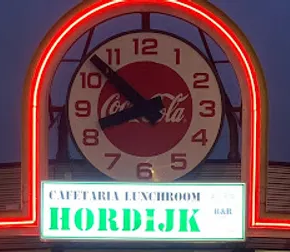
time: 8:52
